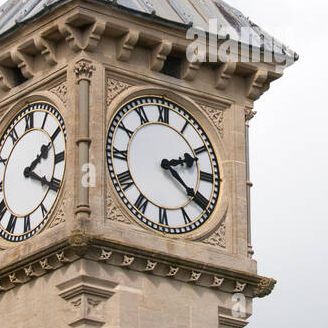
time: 2:21
